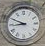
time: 8:49
